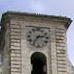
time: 2:36
